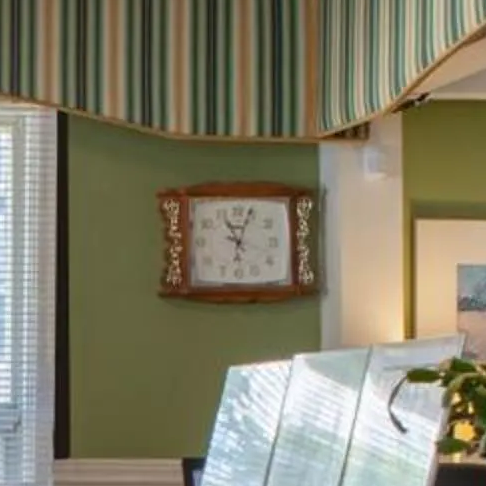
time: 11:03
